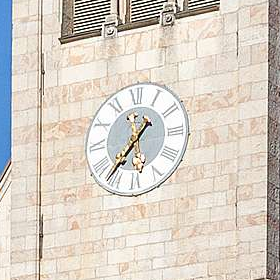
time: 1:36
